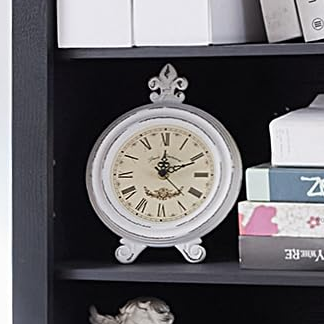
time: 12:10
